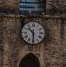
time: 10:30
